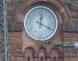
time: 12:19
